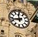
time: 11:42
